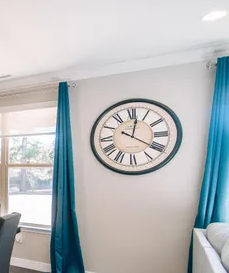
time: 12:20
